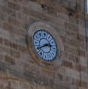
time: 2:40
